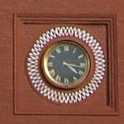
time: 4:16
